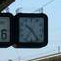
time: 10:24
